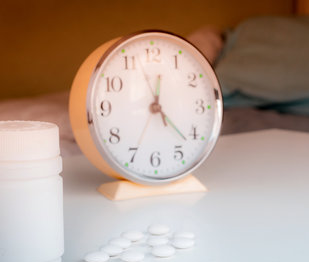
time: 12:22
